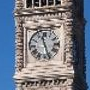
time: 11:26
